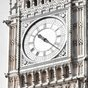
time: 10:21
